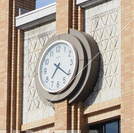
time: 7:21
